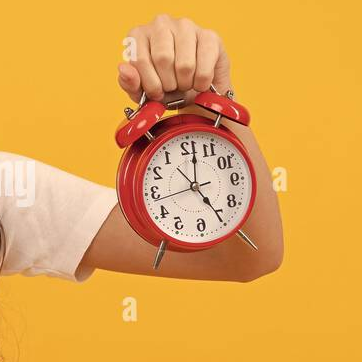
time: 5:01
